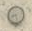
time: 8:27
